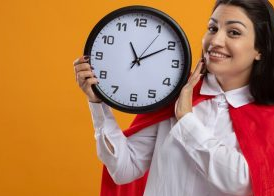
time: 11:10
